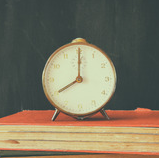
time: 8:00
